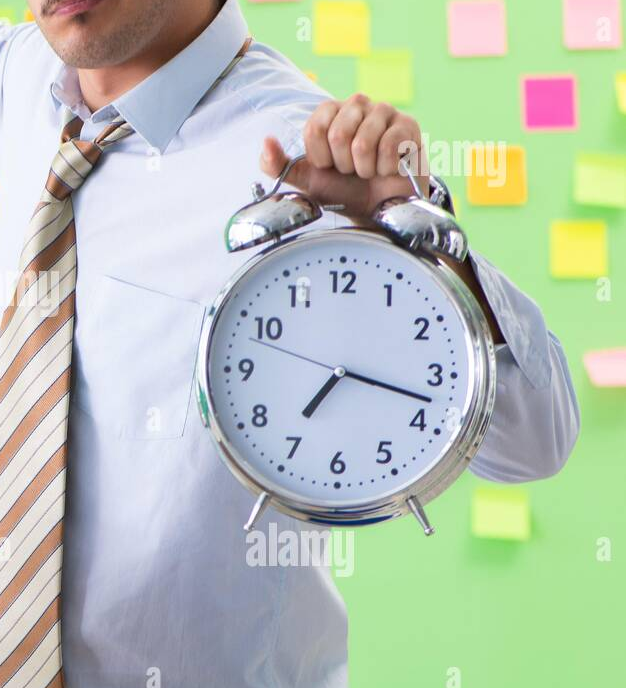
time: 7:17
